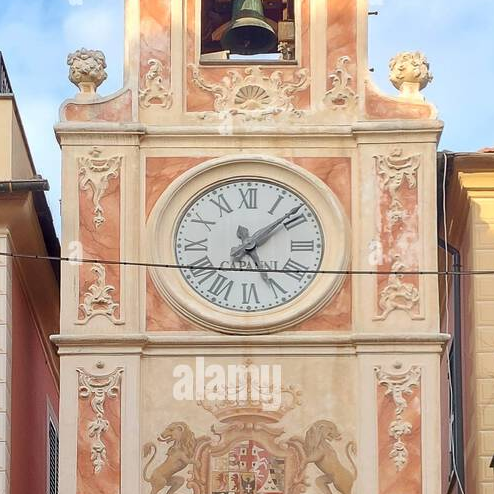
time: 5:08
